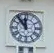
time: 11:53
